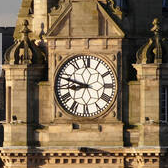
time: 8:47
